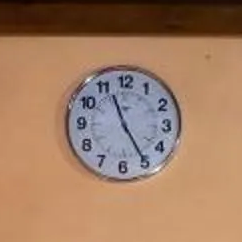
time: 11:24
